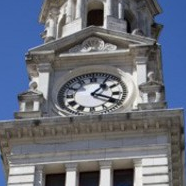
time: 1:18
